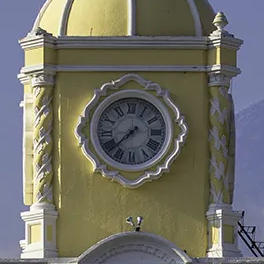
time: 7:37
